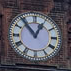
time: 12:53
